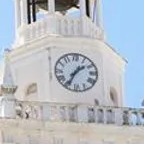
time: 1:34
